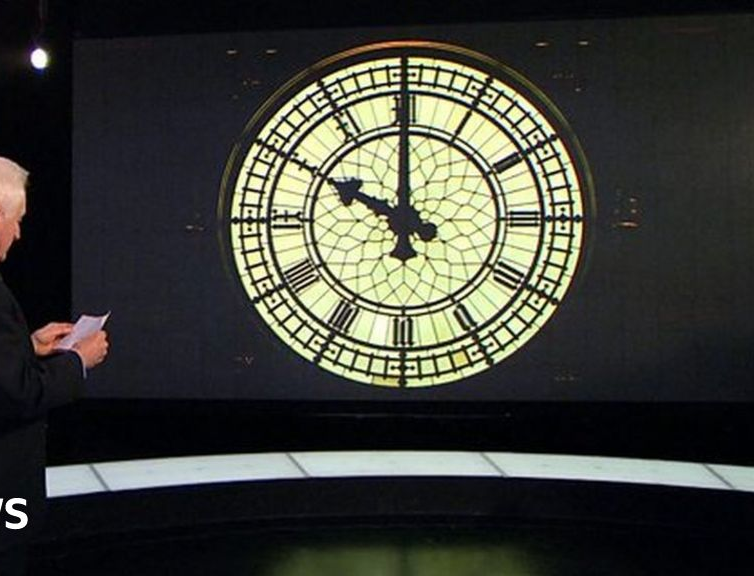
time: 9:59
